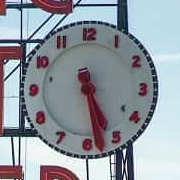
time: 5:28
